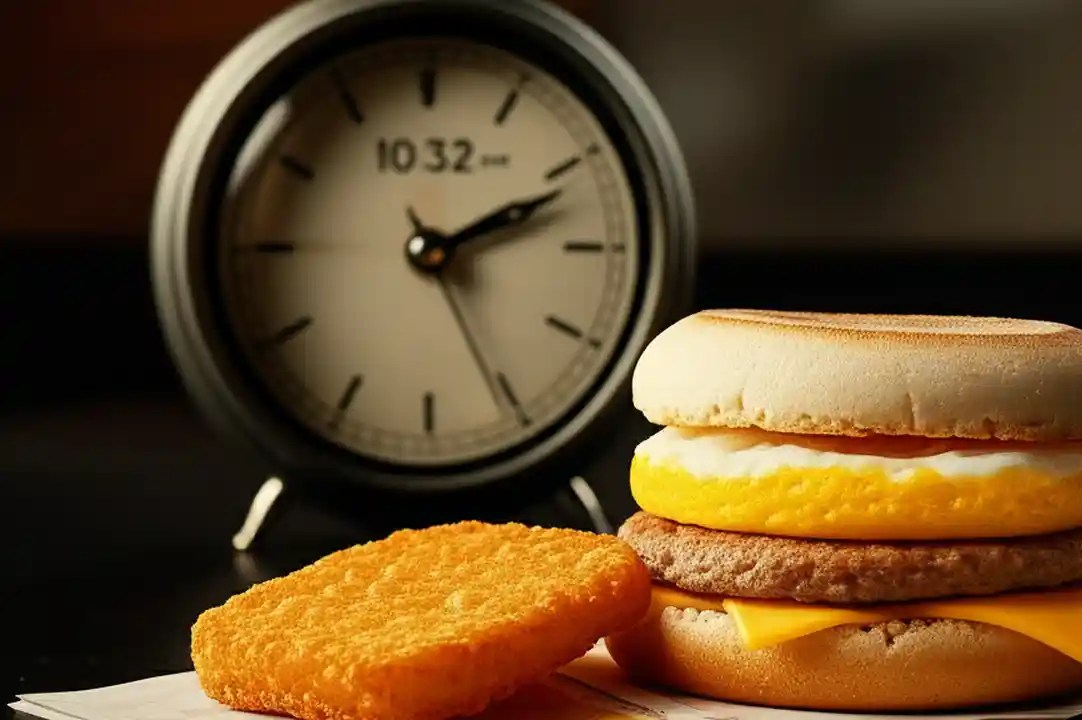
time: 2:11
